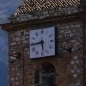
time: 5:44
